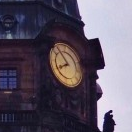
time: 7:53
